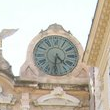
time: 4:31
